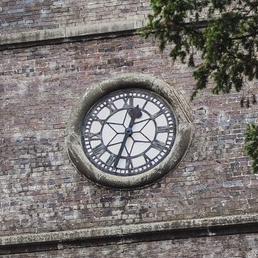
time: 12:33
